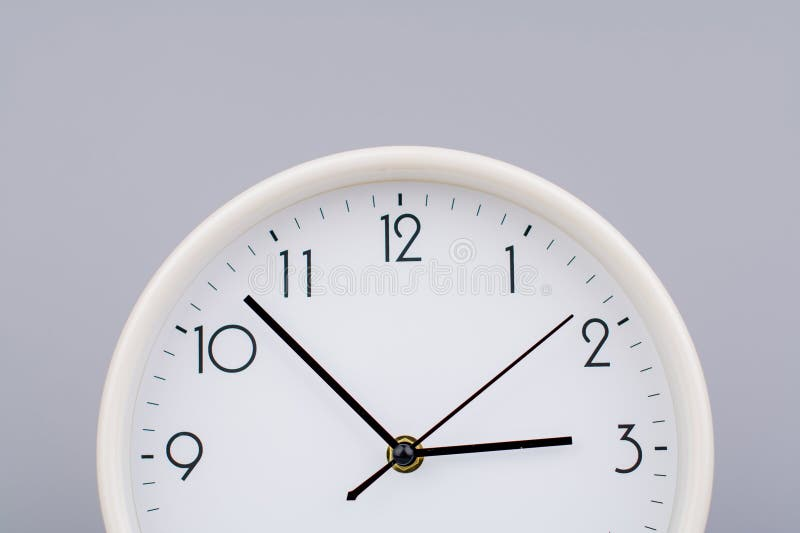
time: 2:52
